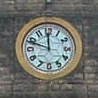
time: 11:48
